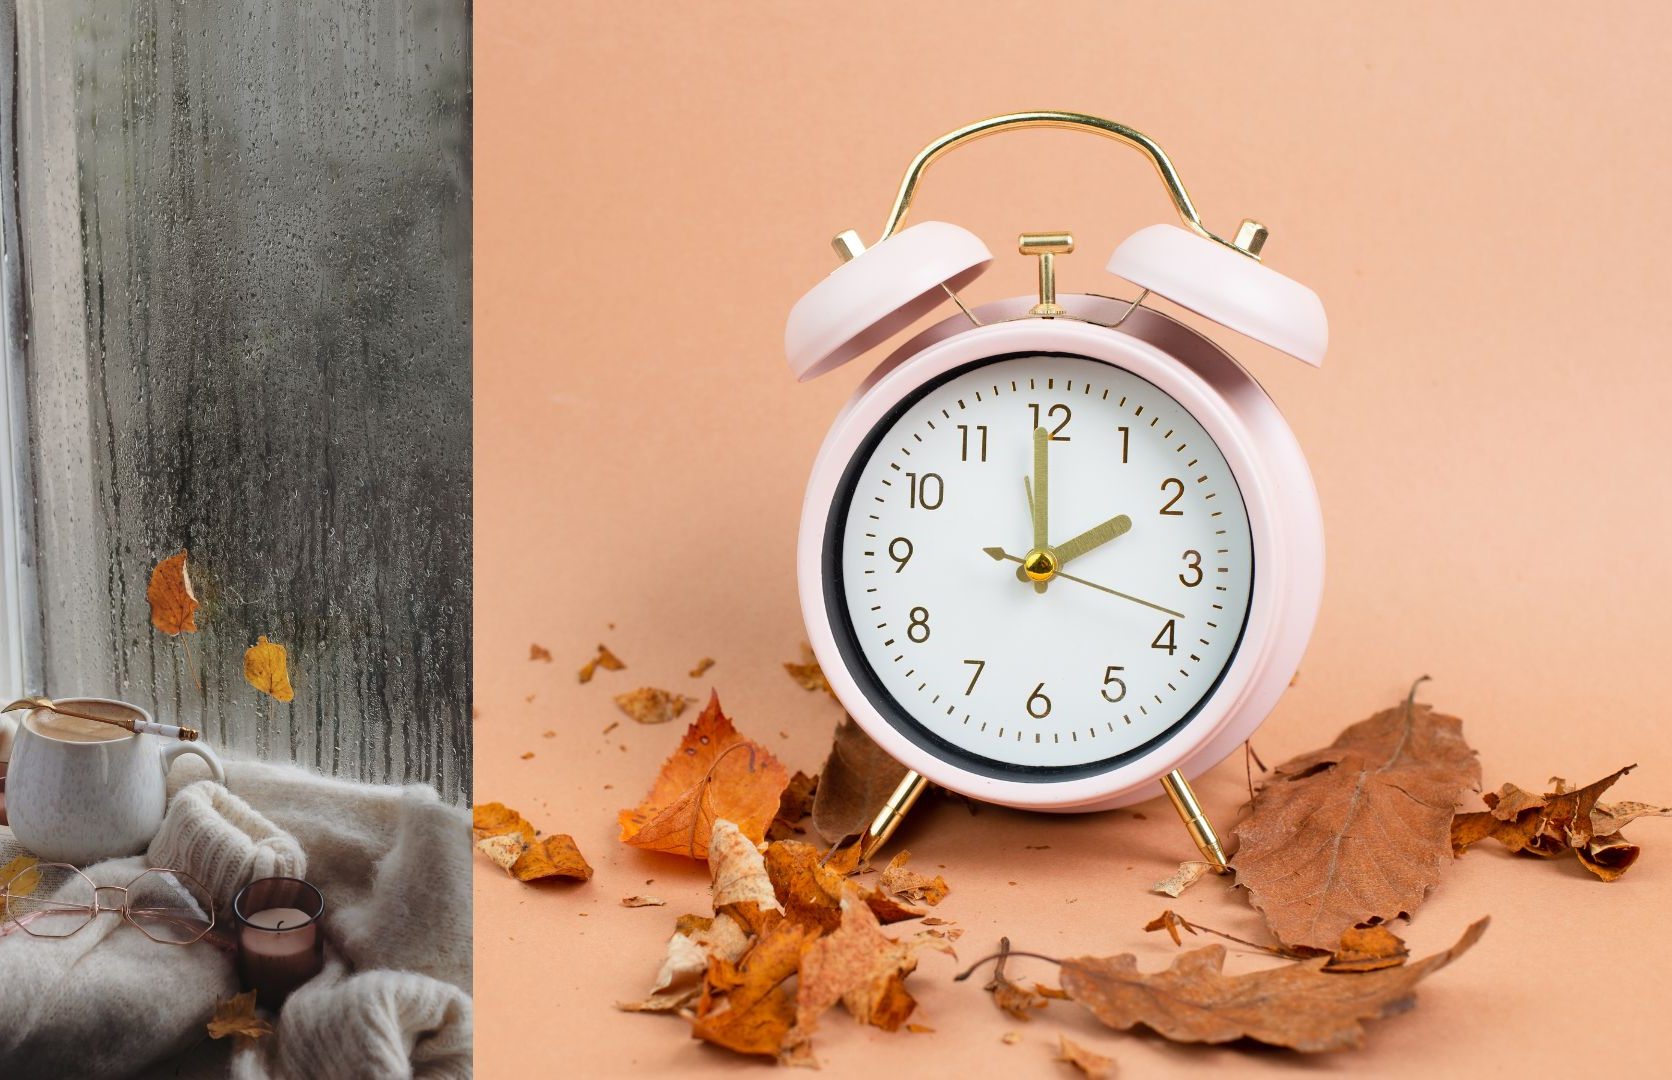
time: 1:59
